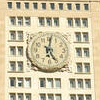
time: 5:01
